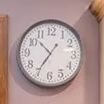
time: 10:35
